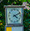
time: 4:10
